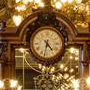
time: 4:32
